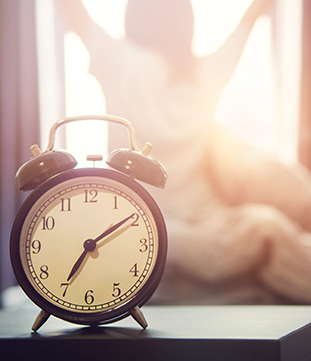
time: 7:09
